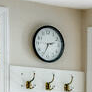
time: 2:34
